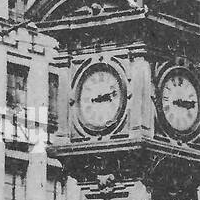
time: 3:12
